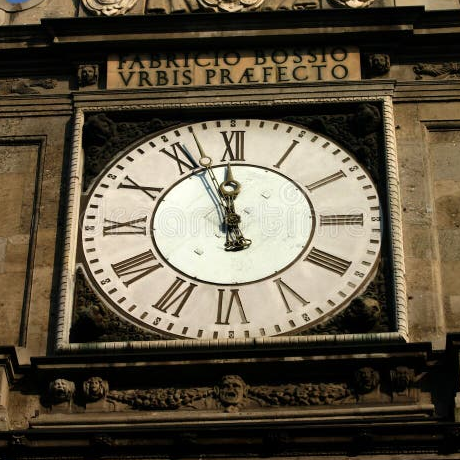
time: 11:55
